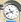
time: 10:41
